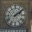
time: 2:08
